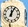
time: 12:04
